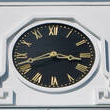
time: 8:16
